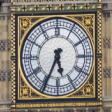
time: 5:34
